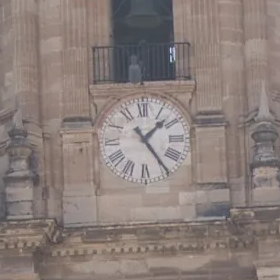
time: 1:24
